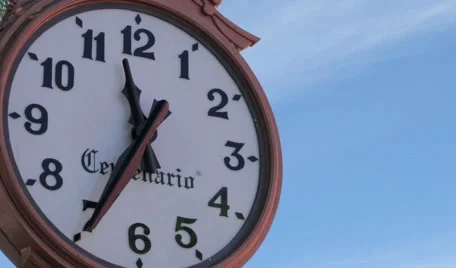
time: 11:35
